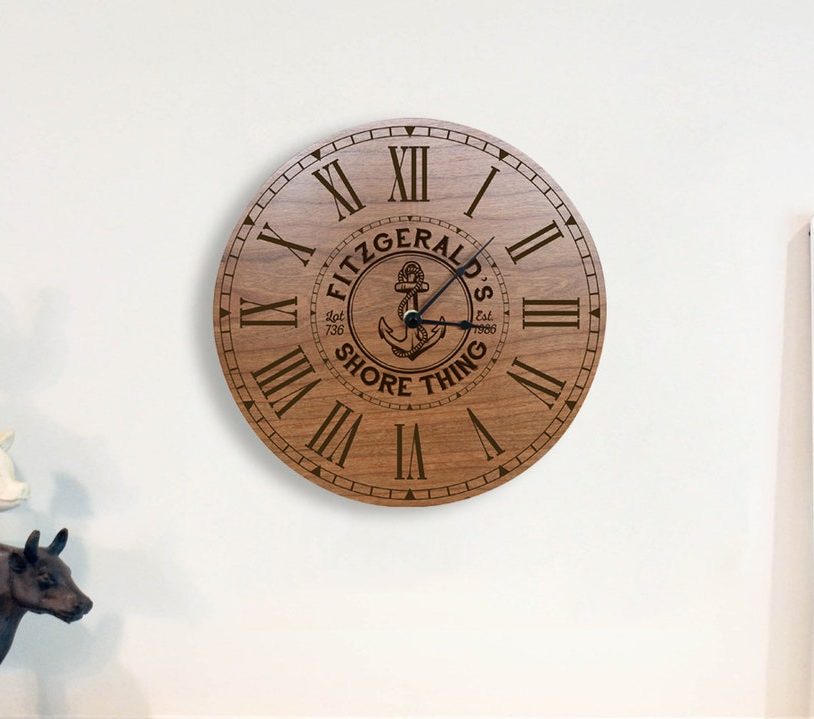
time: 12:07
